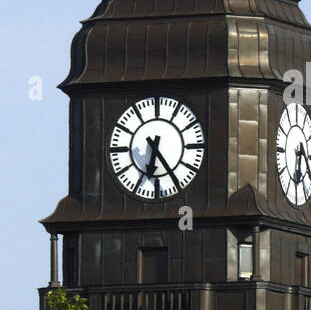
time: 6:24
